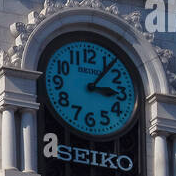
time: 3:06
